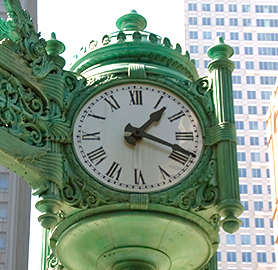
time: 1:18
